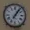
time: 7:06
